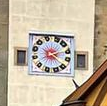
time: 2:21
